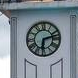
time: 6:12
